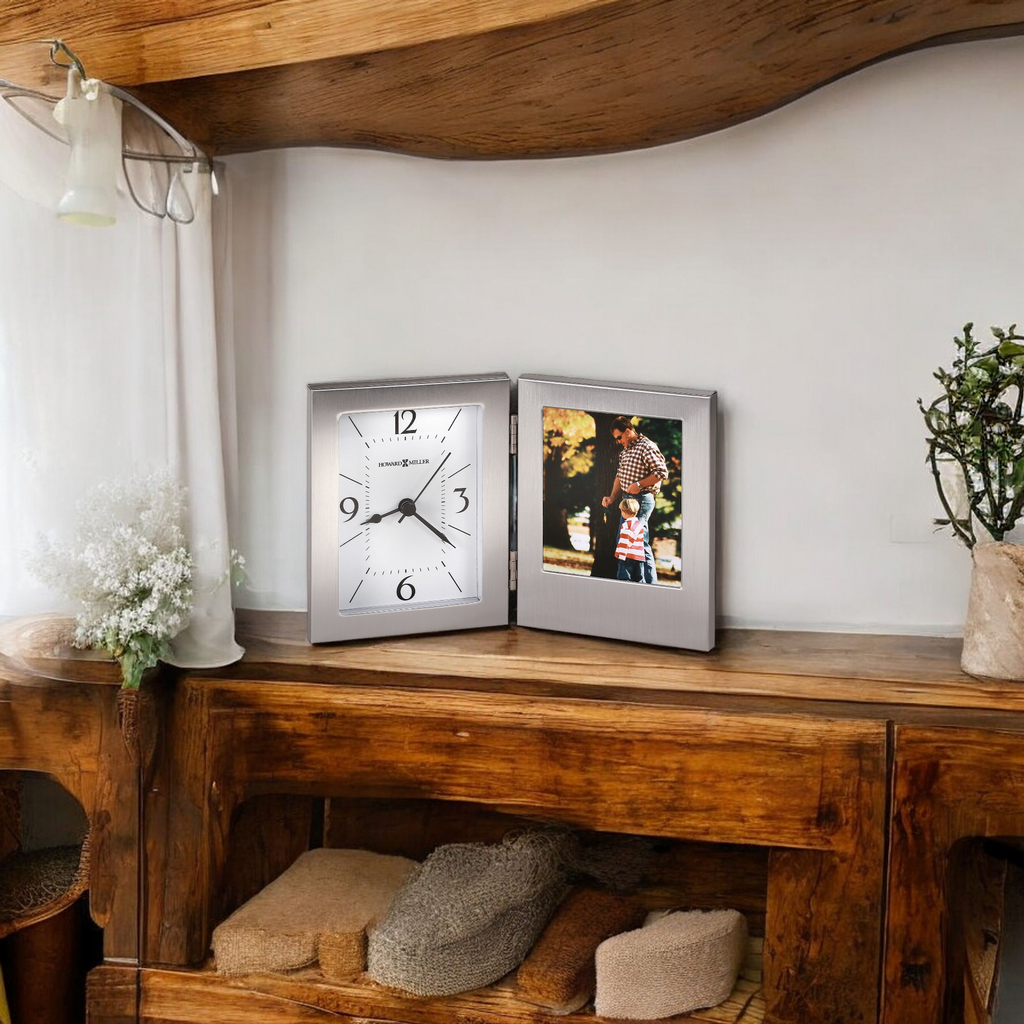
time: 8:21
